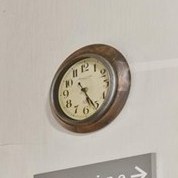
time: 5:25
